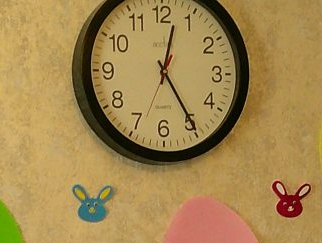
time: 12:24
